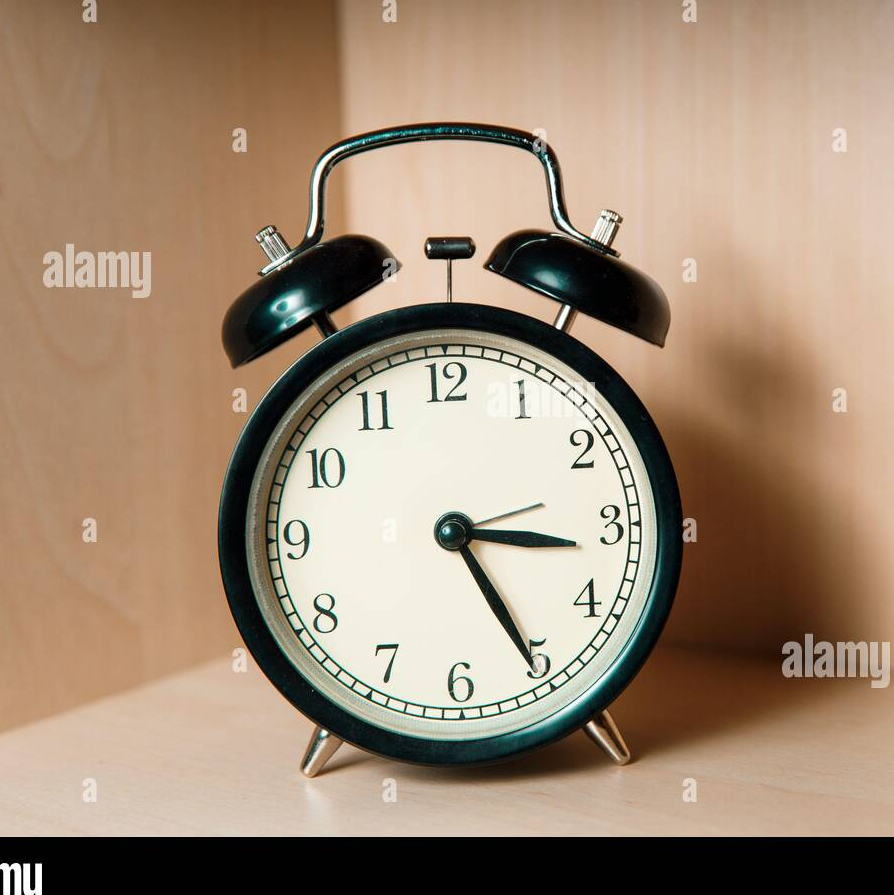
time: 3:25
